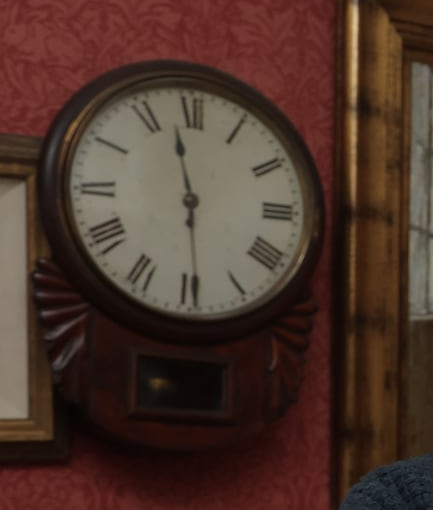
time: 11:29
